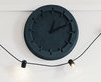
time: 12:10
